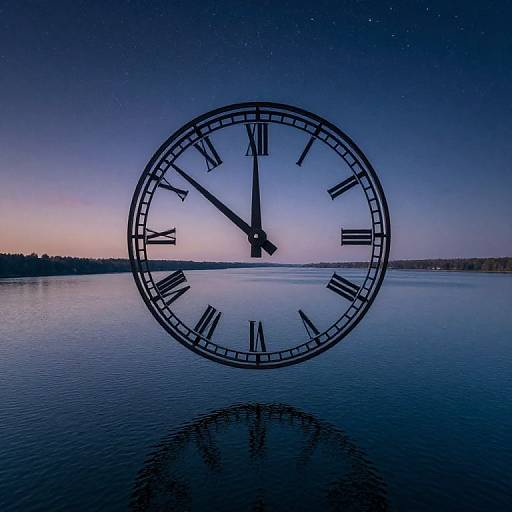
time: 11:51
